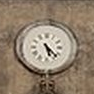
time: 5:23
